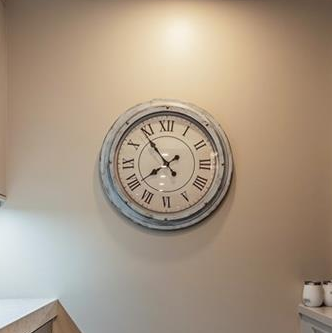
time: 7:53
